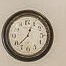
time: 12:37
